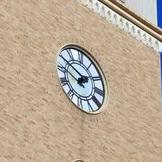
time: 1:50
